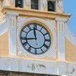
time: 11:43
